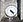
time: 4:23
